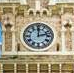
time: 12:12
